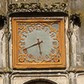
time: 5:41
